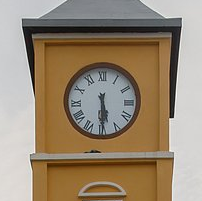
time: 5:29
